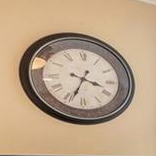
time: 3:33
